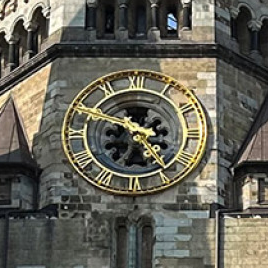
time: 4:49
